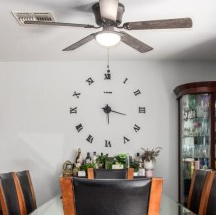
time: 3:29
